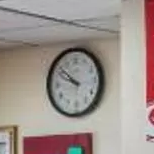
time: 9:51
